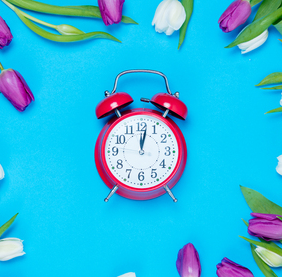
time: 12:01
